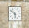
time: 5:51
